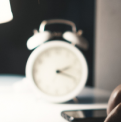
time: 2:18
